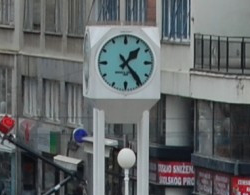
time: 1:23
